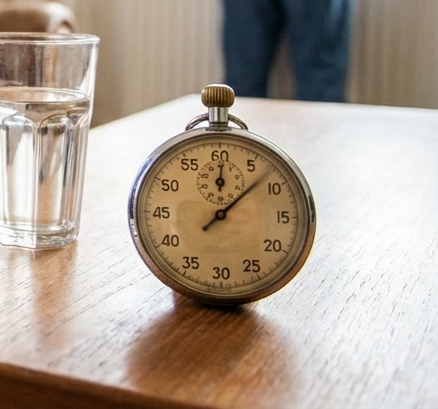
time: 12:07
